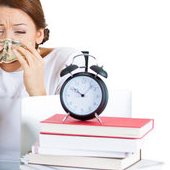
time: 10:07
